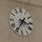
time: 3:35
